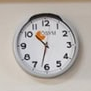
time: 10:32
